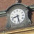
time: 8:27
